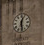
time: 12:28
